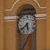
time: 5:38
